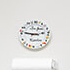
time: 2:46
